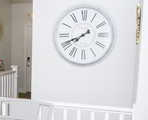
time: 7:40
